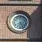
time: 7:24
